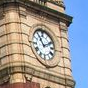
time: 11:11
